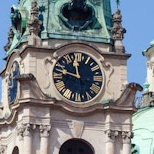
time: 11:47
